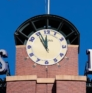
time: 11:55
